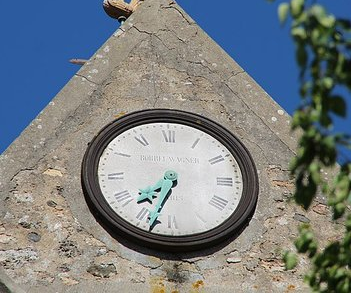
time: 7:33
